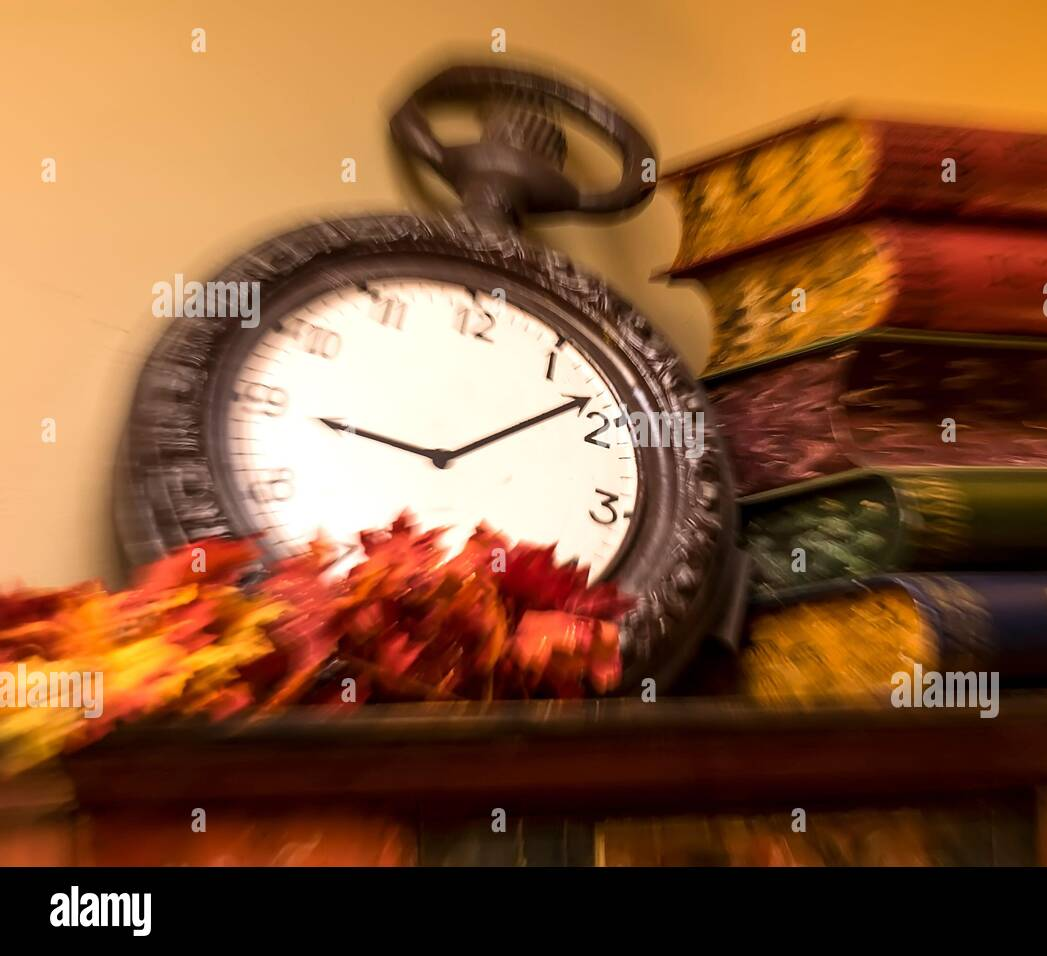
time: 9:08
